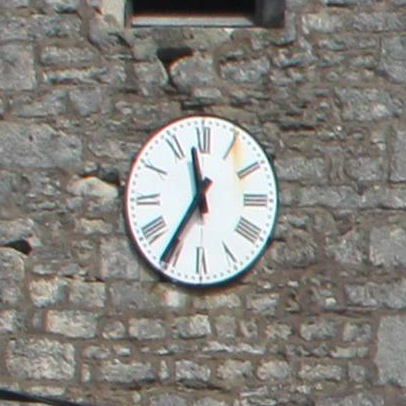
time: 11:35
